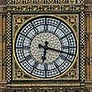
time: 6:17
